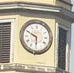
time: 5:49
